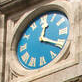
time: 12:20
